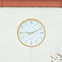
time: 9:10
